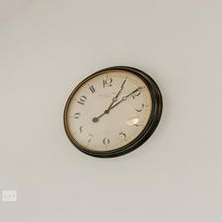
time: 1:09
